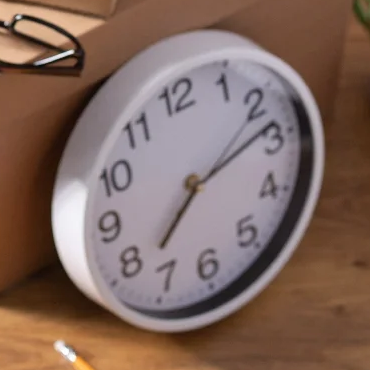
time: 7:13
